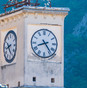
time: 8:23
